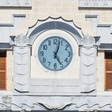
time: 5:03
